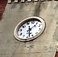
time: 1:28
